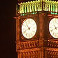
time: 10:42
